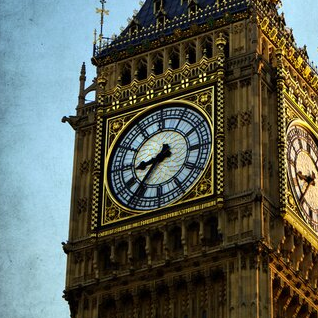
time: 8:36
